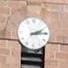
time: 2:14
